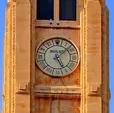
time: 5:08
